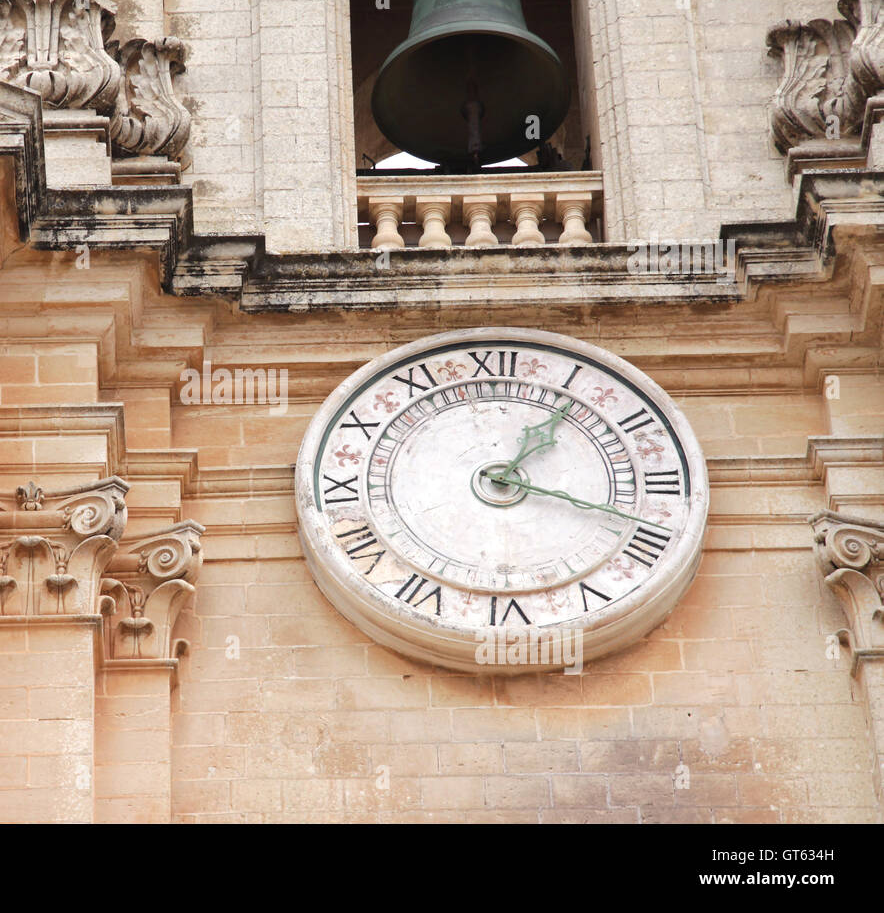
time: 1:18
